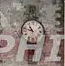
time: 10:47
